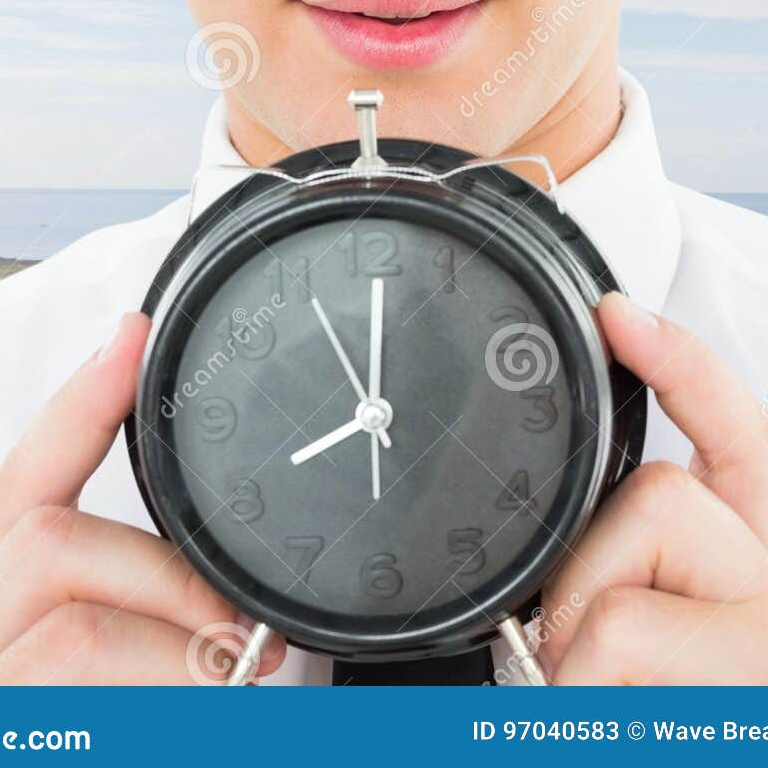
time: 8:00
